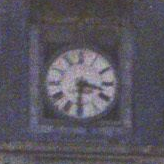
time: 3:31
